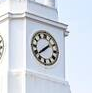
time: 1:38
